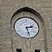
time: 2:27
